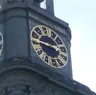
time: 2:46
